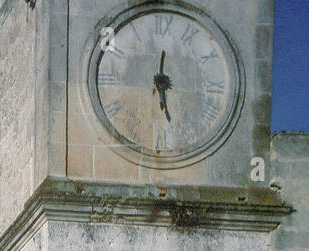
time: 12:27
